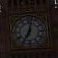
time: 7:02
